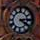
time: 4:14
